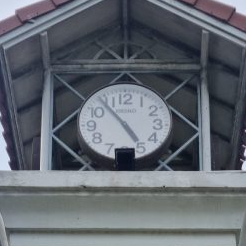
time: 4:54
